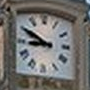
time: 8:50
